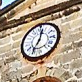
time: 7:02
